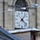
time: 1:22
